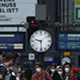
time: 9:29
